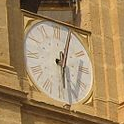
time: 6:03
